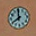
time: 7:59
